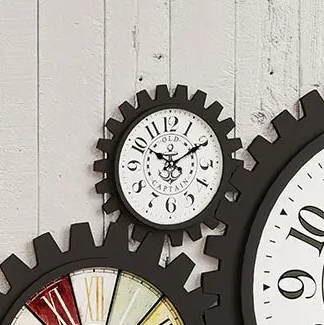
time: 10:10
